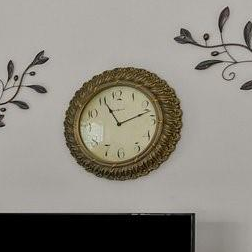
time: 11:12
